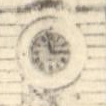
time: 2:58
